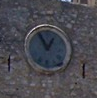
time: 12:55
